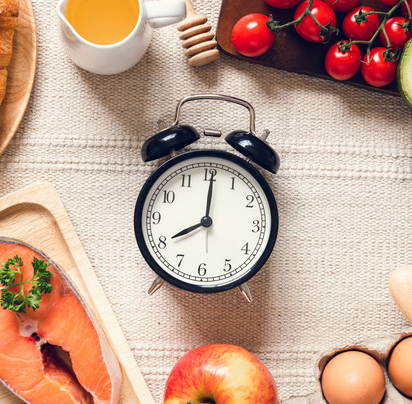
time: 8:00
